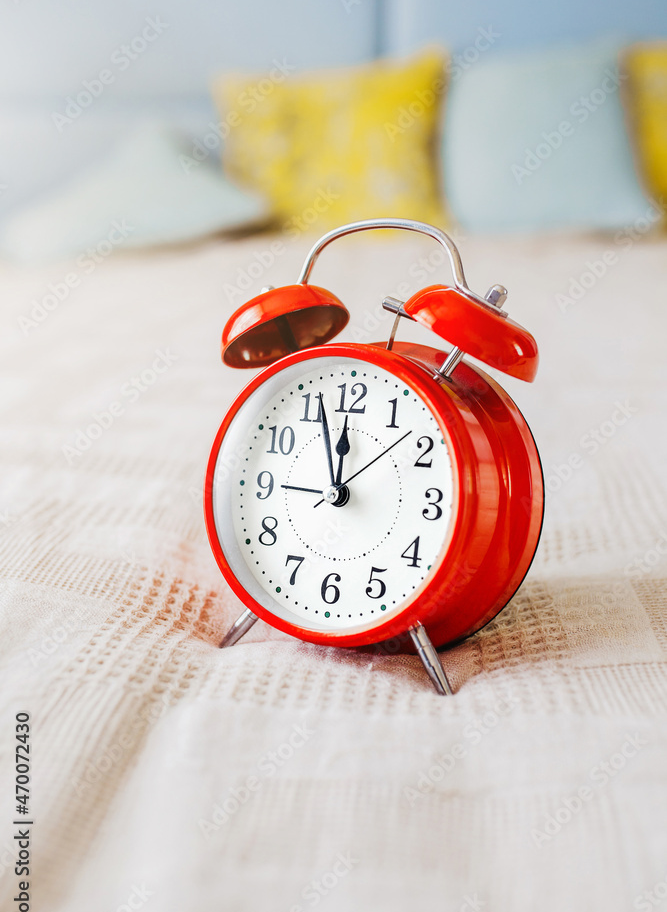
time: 11:56
